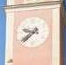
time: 9:38
